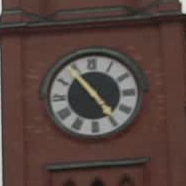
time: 4:53
